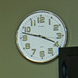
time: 3:47
